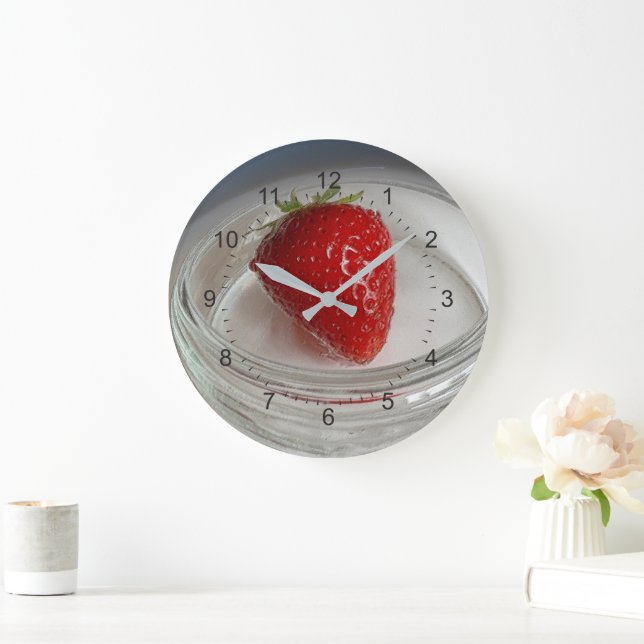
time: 1:49
